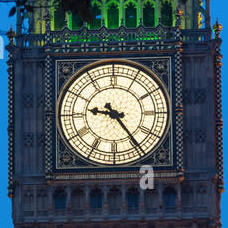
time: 9:23
